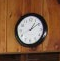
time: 1:09
